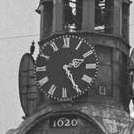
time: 2:25
